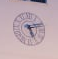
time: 5:12
